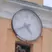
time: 4:40
